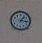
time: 1:16
